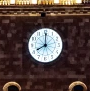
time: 8:00
